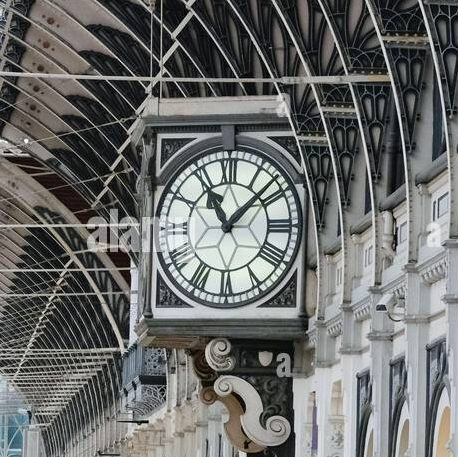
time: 11:07
